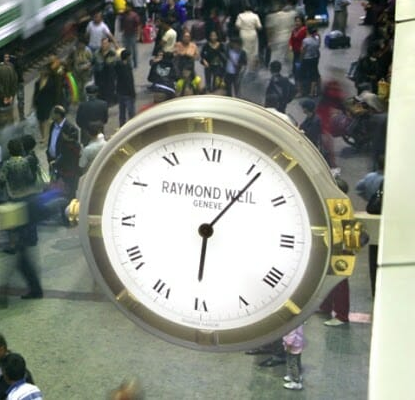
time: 6:06
